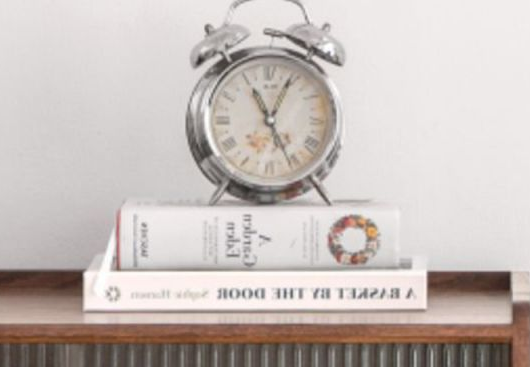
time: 11:04
